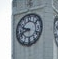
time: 9:42
